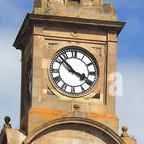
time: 3:52
